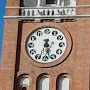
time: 5:33
